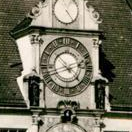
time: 4:42
